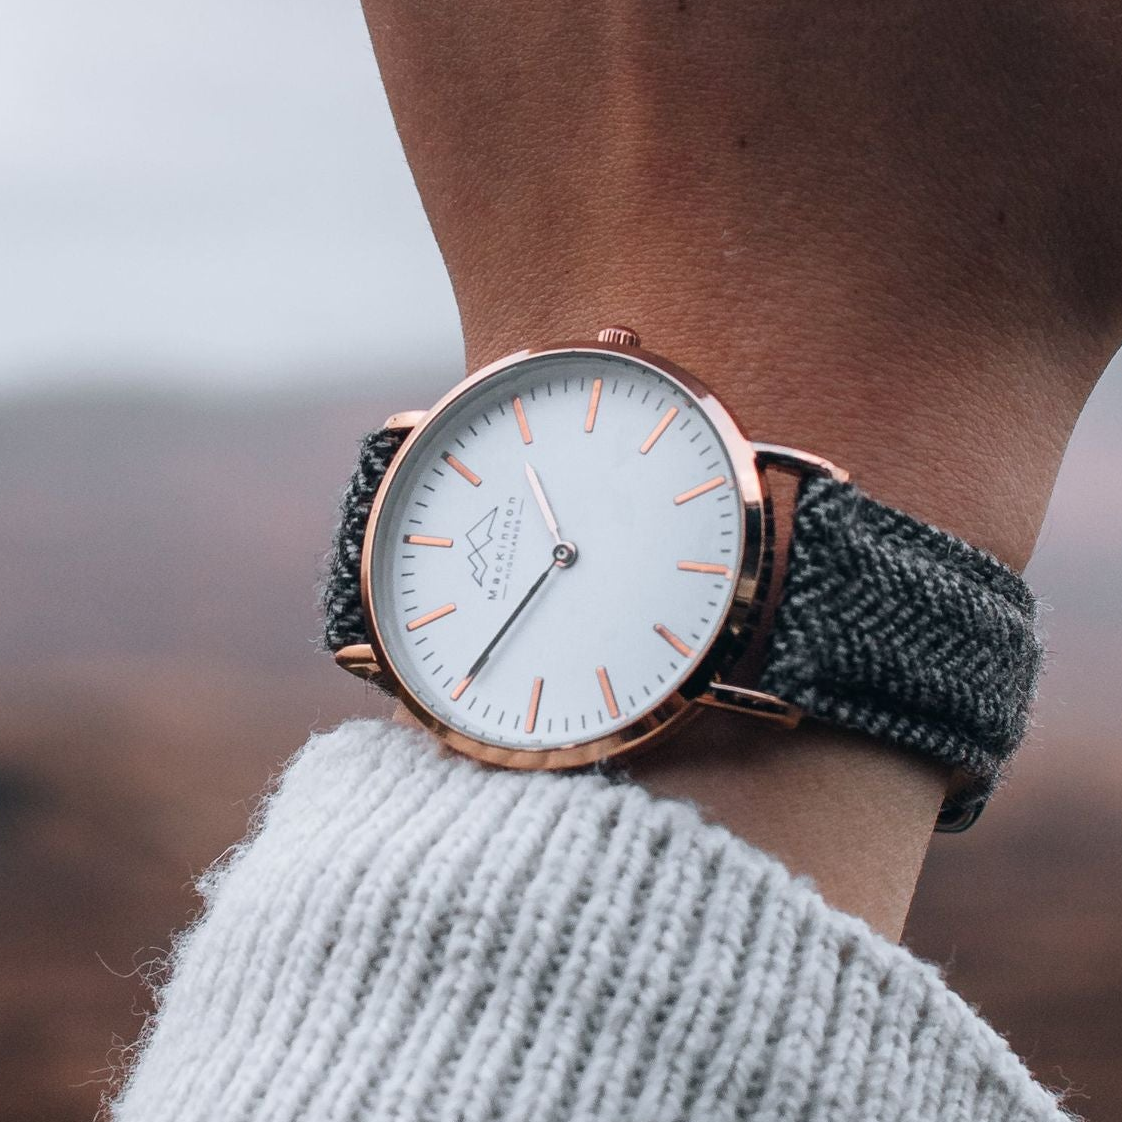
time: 10:35
